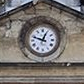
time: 12:48
